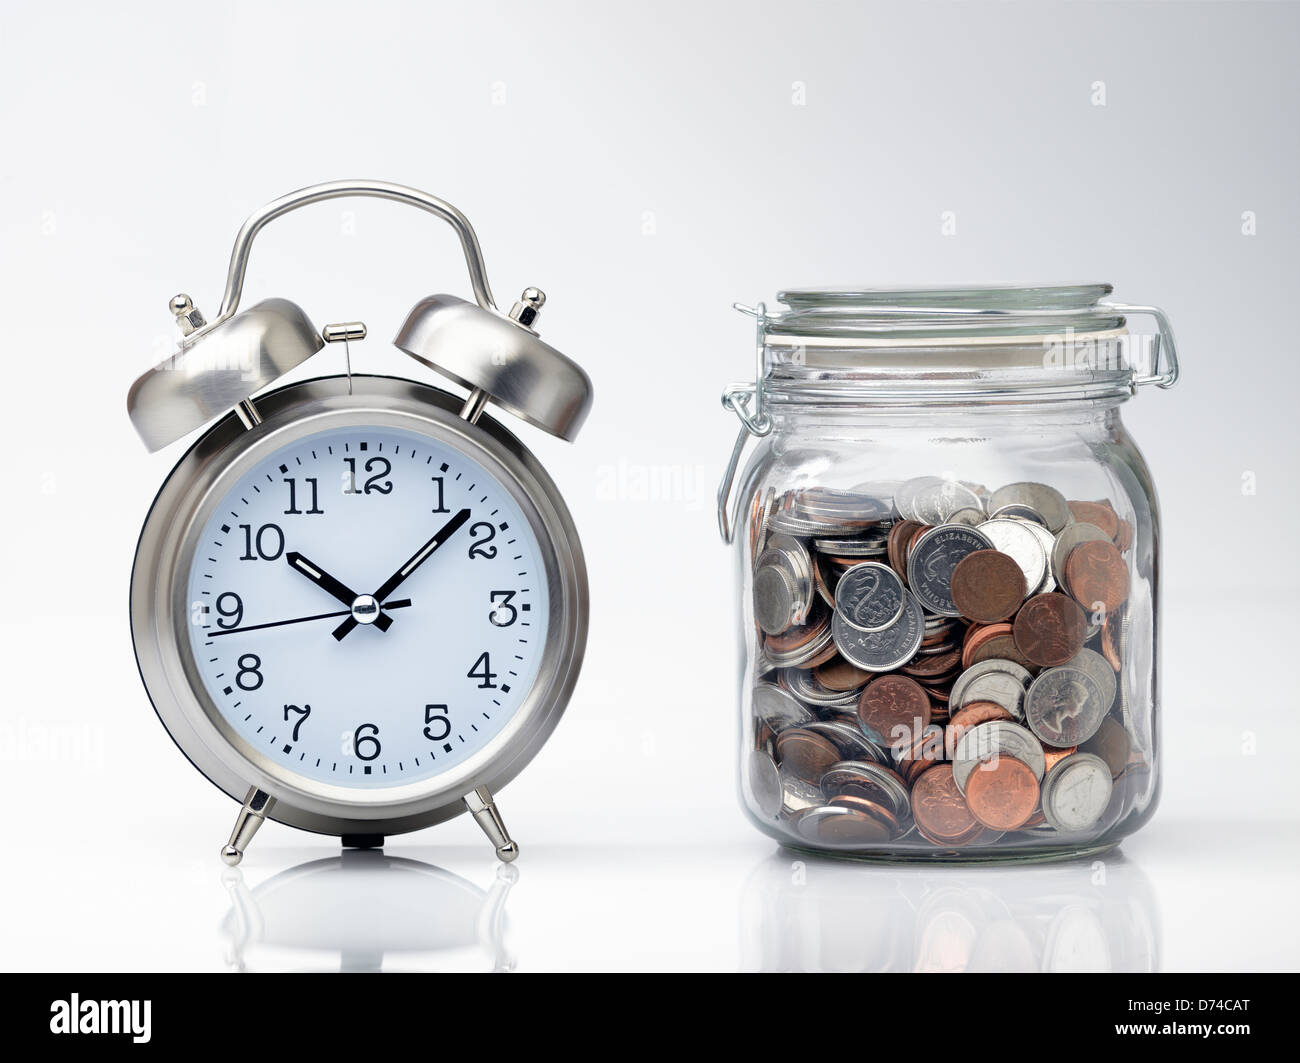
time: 10:07
